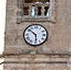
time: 5:51
